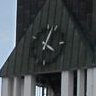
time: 4:02
